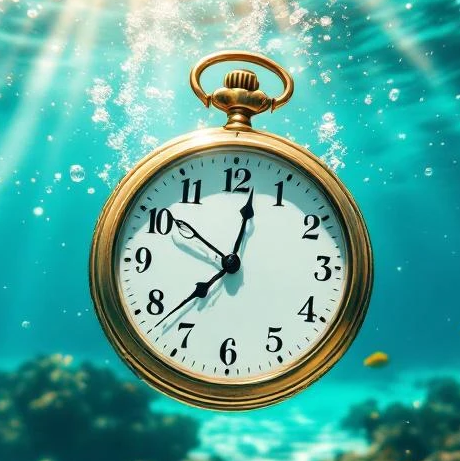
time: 12:37
